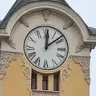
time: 12:08
